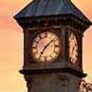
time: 7:08
